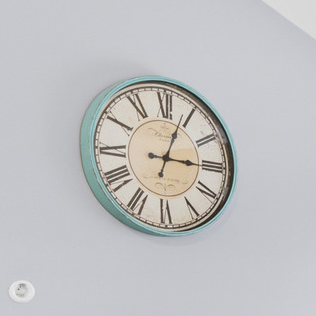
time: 3:03
